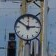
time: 2:50
